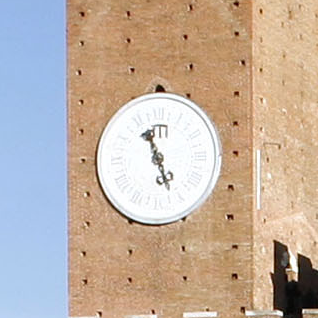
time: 11:26
